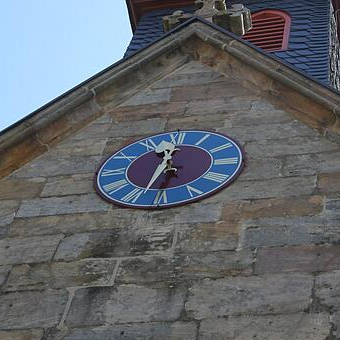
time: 11:33
